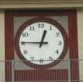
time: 12:45
